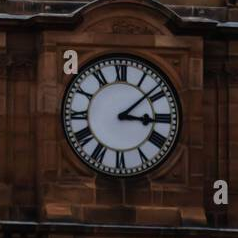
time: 3:08
